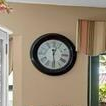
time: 12:28
